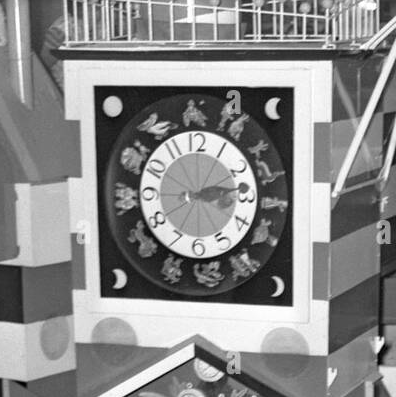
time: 3:13
